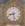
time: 8:27
